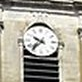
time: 9:36
